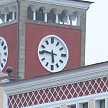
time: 5:46
